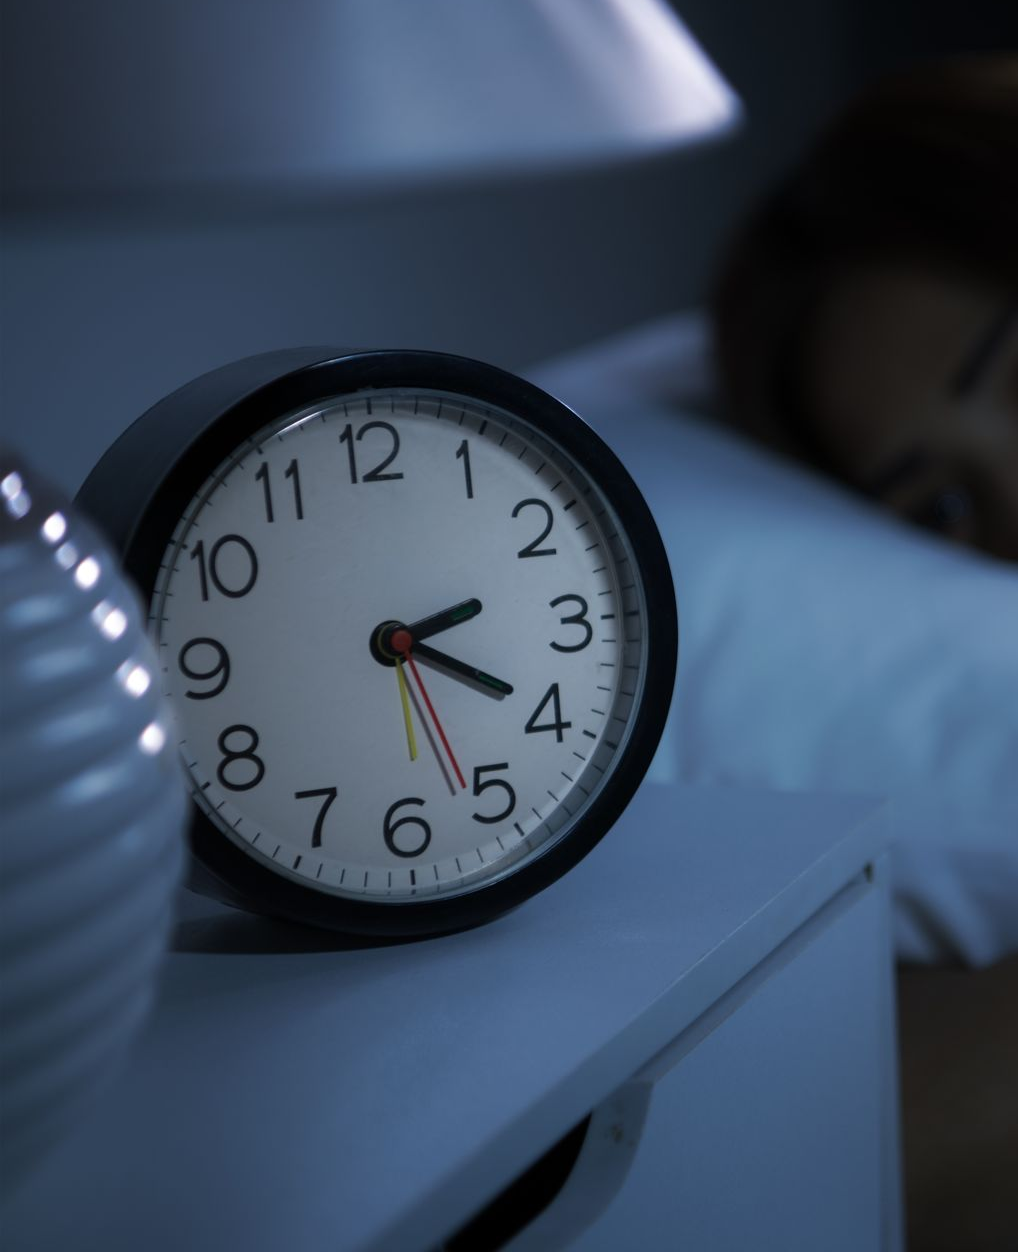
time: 2:19
